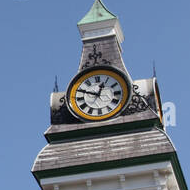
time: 12:48
